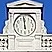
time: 5:59
